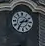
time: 2:36
